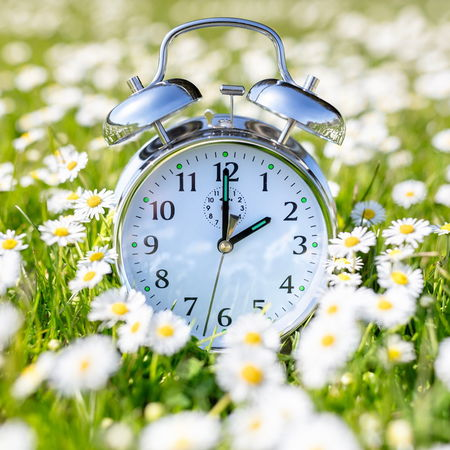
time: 2:00
